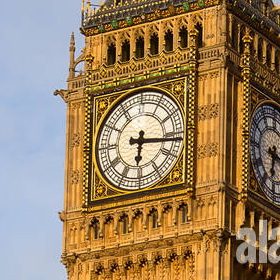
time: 6:16
